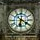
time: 6:20
